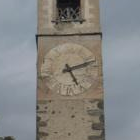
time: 5:11
